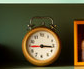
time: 3:15
